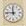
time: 11:46
